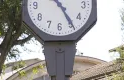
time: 10:24
